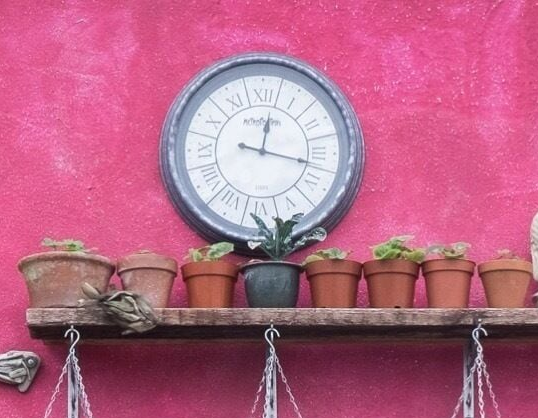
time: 12:17
